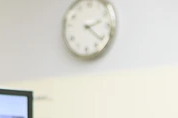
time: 2:21
